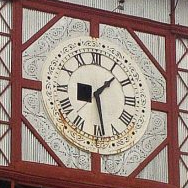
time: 1:28
